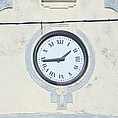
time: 1:43
